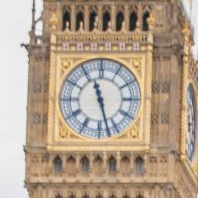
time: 11:27
